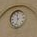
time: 11:33
